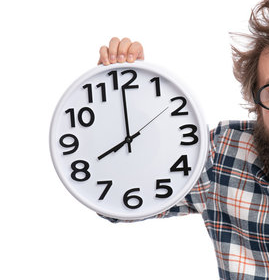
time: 7:59
